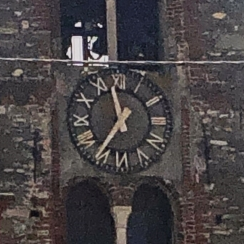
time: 11:35
